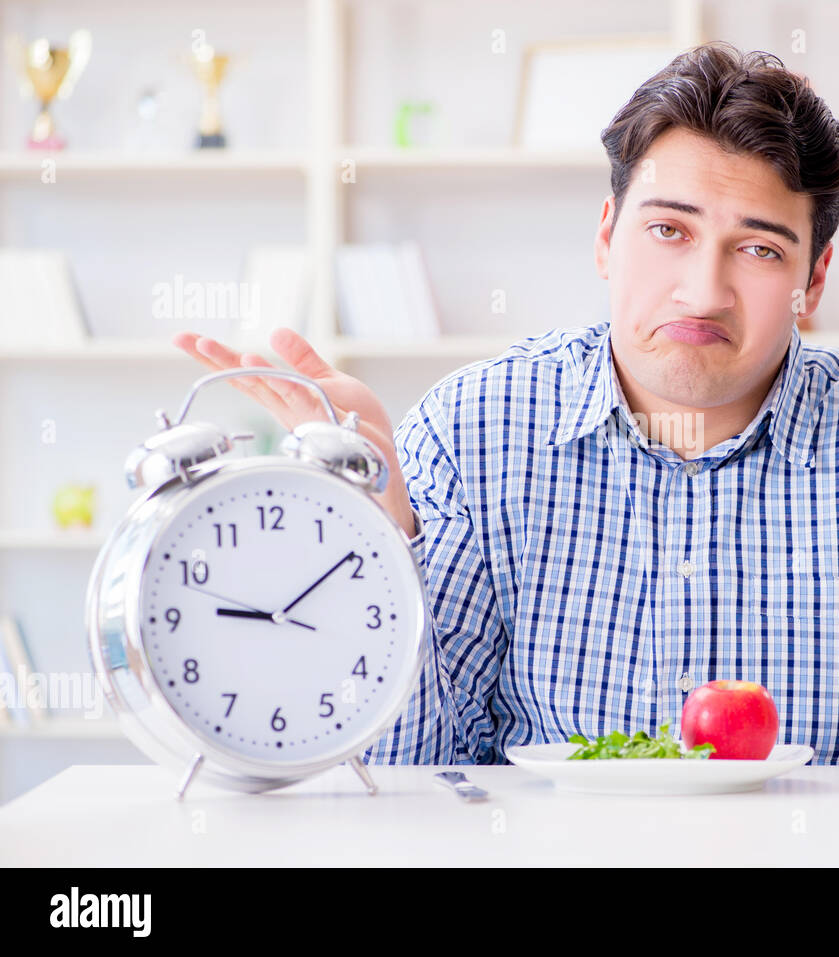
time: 9:09
